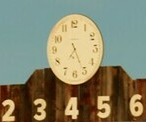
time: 7:25
